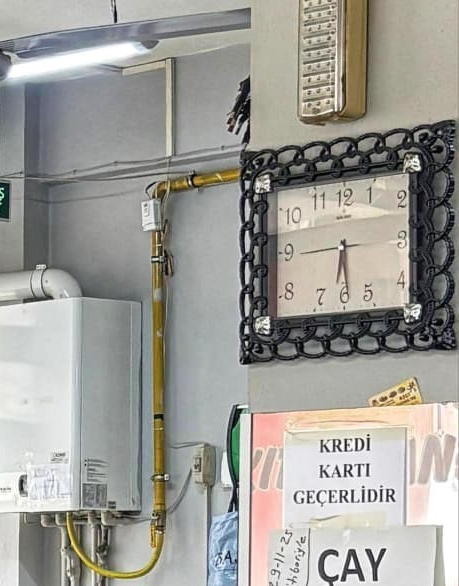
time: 6:28
